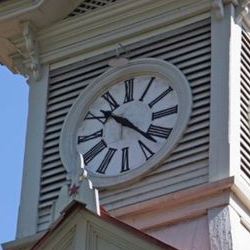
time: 10:22
